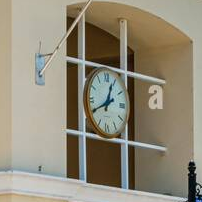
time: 12:40
